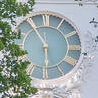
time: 5:54
